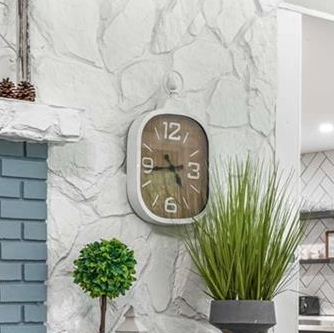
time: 4:43
